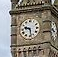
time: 9:28
